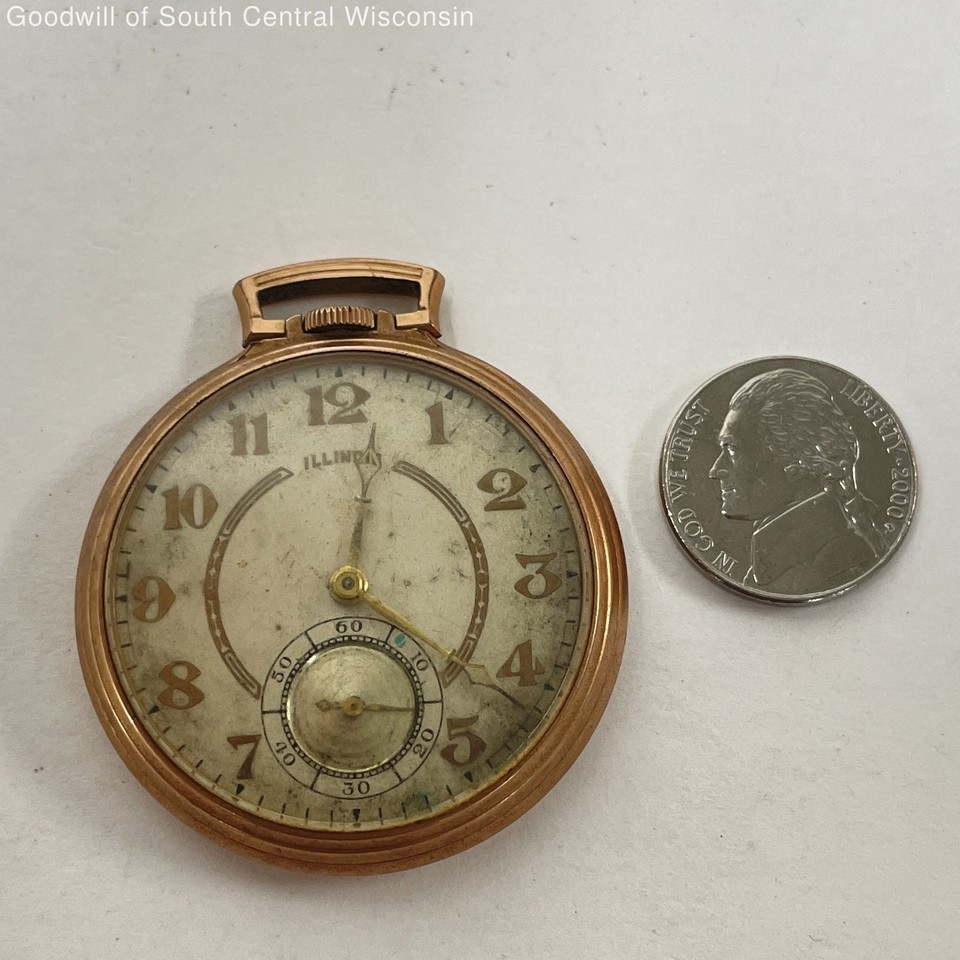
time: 7:02
